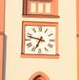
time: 6:47
